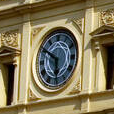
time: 5:50
